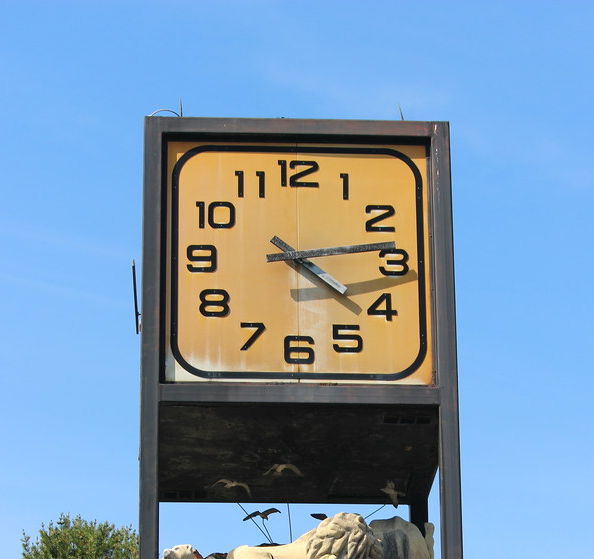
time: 4:13
